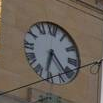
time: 6:23
